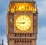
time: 8:45
